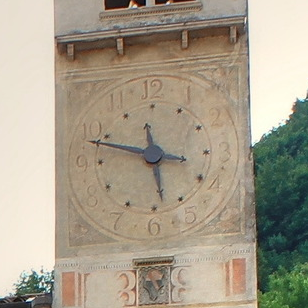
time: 11:48
